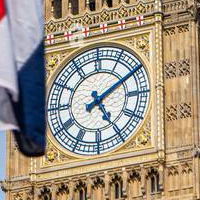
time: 5:09
